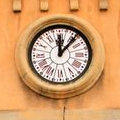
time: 12:06
